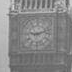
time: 9:12
